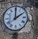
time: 2:00
